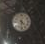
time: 4:31
